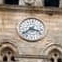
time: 3:38
